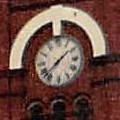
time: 1:37
